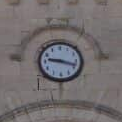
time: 9:18
